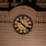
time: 10:21
